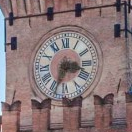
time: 3:34
